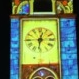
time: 12:31
